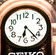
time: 6:22
